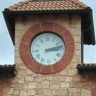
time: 3:13
